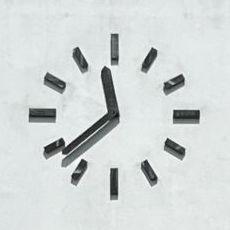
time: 11:38
